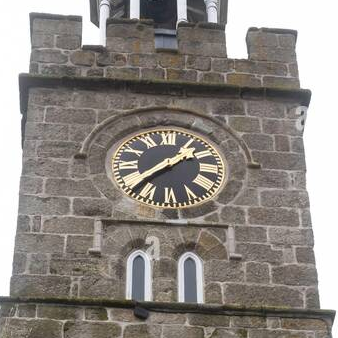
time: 1:37
